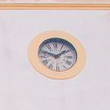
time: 1:47
